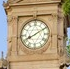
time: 8:09
